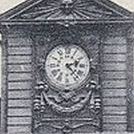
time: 2:22
